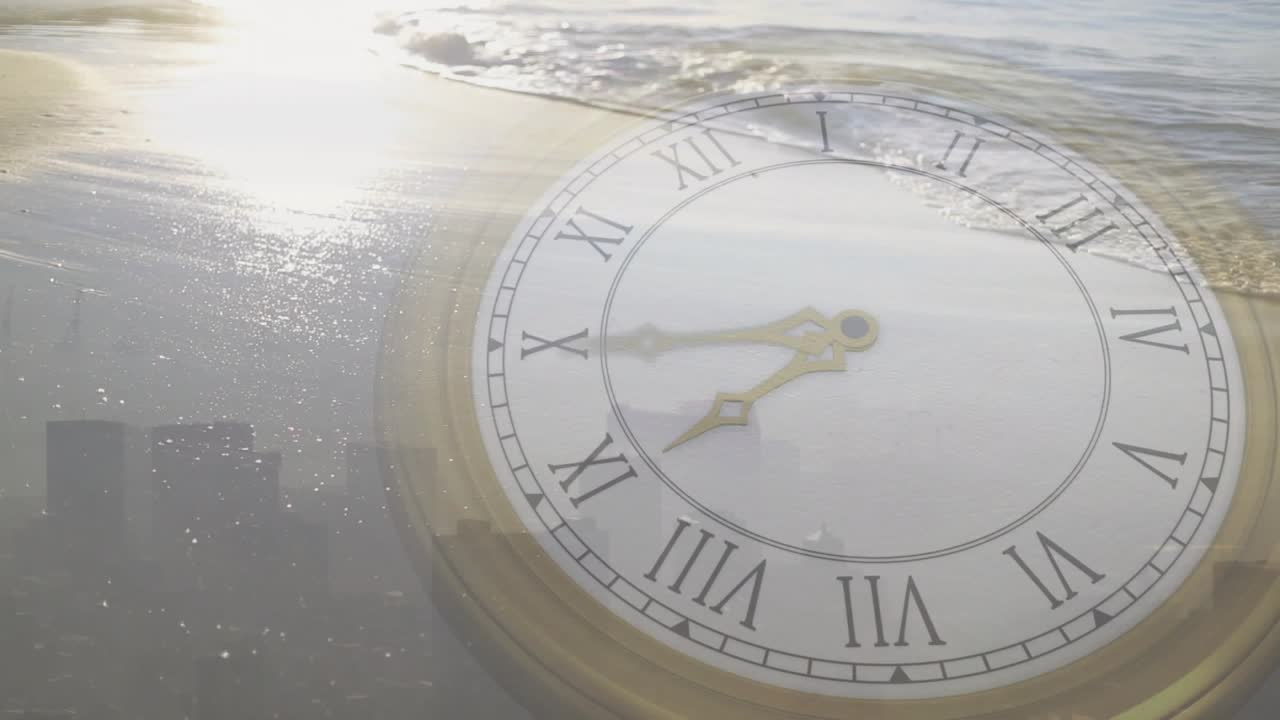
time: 7:44
